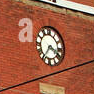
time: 3:35
